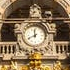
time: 11:41
